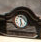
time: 5:30
